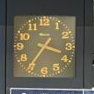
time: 3:35
